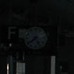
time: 7:25
